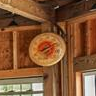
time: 8:09
